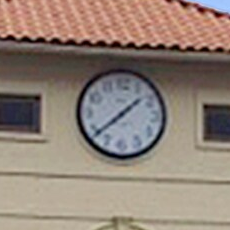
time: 1:38
